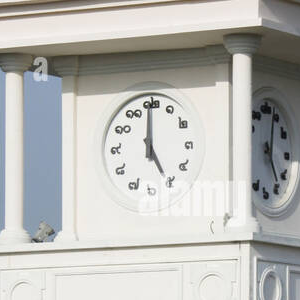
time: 5:00
